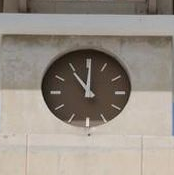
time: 11:00
